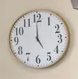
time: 5:00
